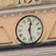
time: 12:27
